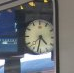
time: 4:32
